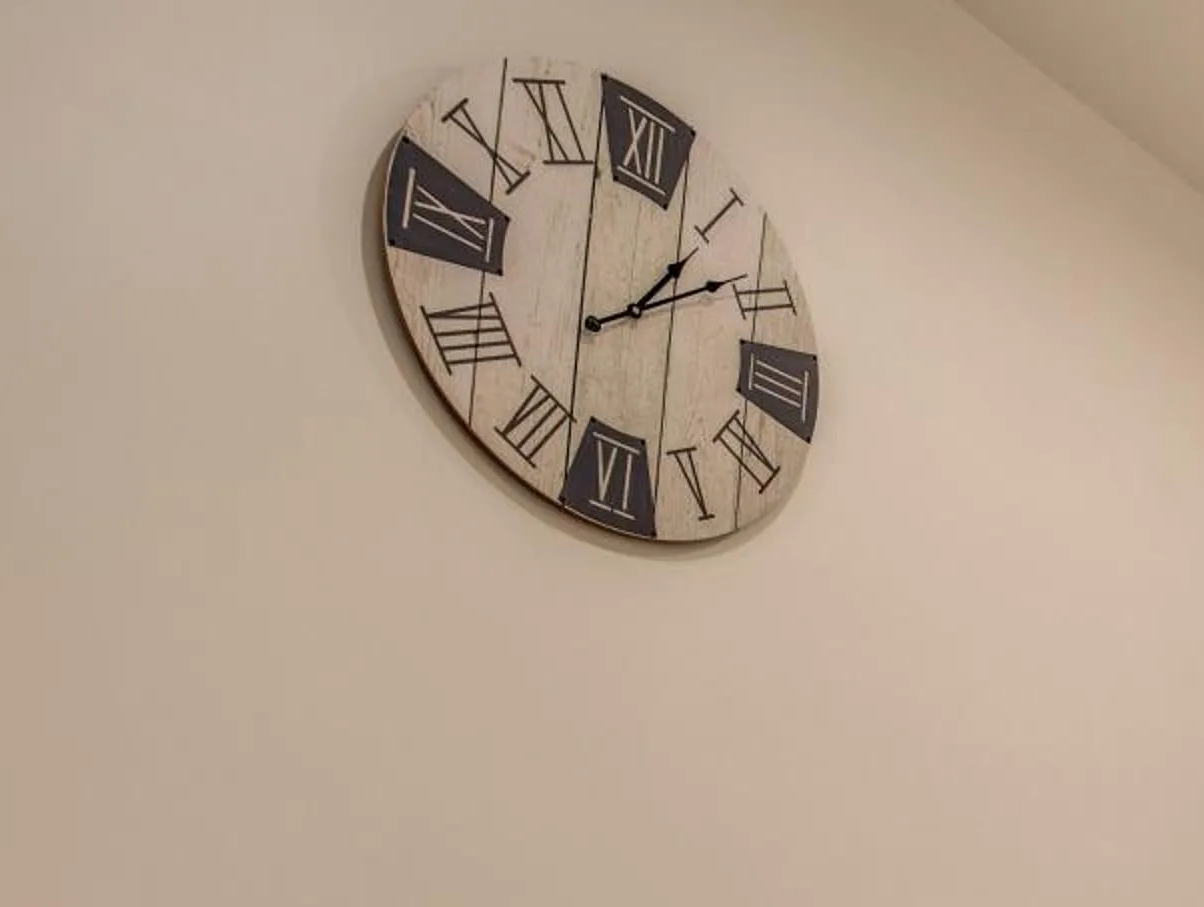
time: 1:08
